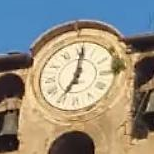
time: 7:01
